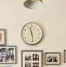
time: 11:28
